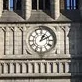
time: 1:10
